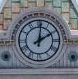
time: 2:01
